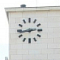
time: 2:43
